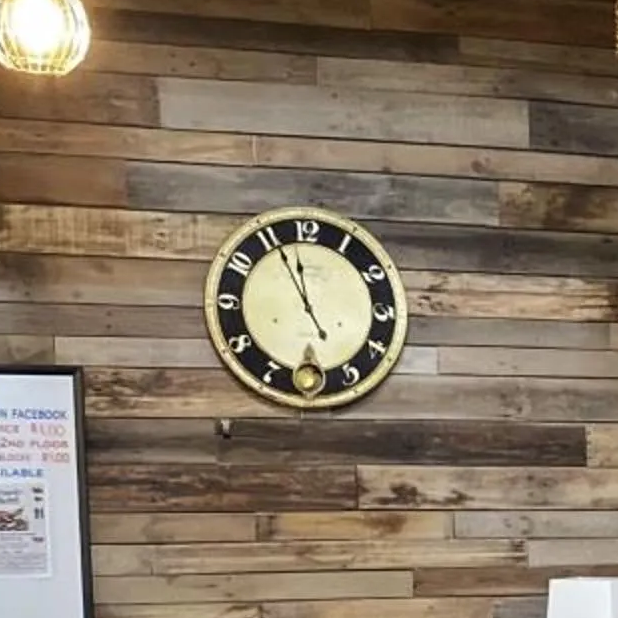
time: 11:55
